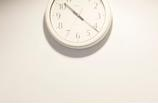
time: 10:21
